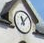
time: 11:07
